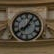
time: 8:06
